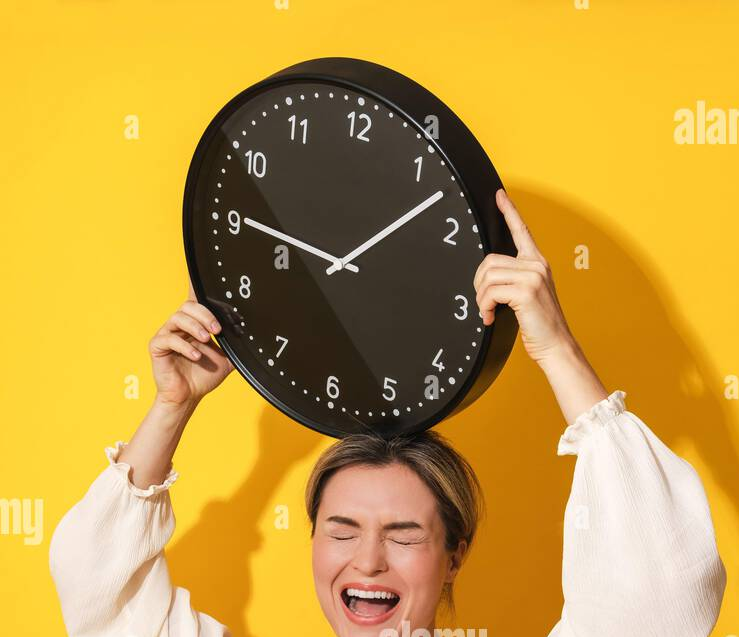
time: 9:07
